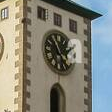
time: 1:55
